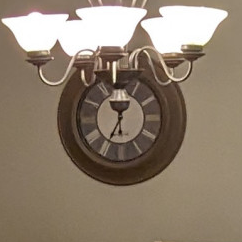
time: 11:34
